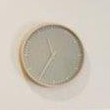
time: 11:35
